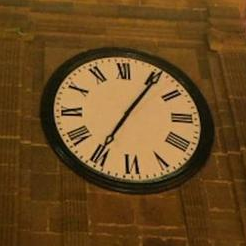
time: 7:06
